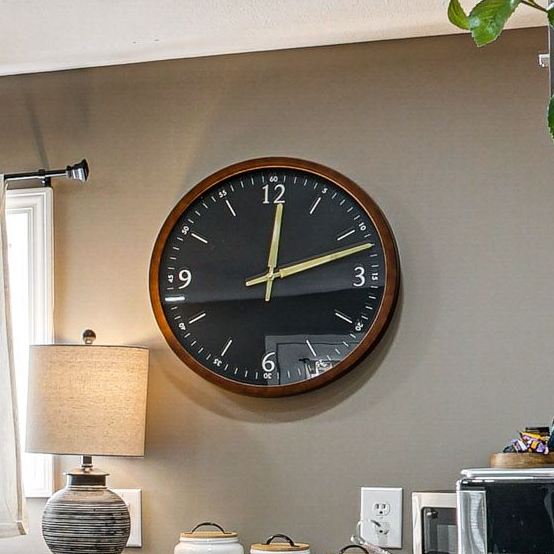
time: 12:11
